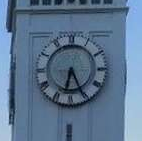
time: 6:25
